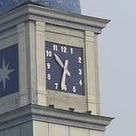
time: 10:32
